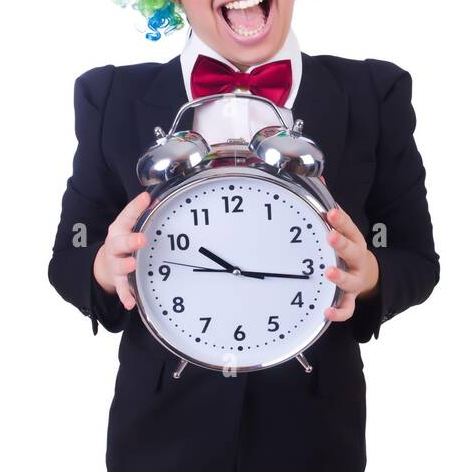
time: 10:16
